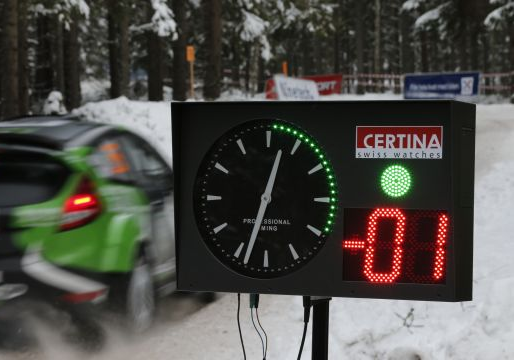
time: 12:32
